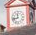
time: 11:42
